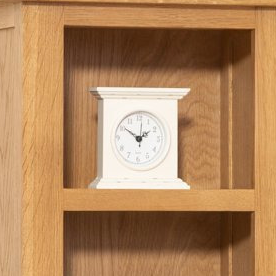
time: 1:50
